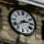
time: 2:38
